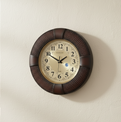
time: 1:49
